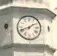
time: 1:41
